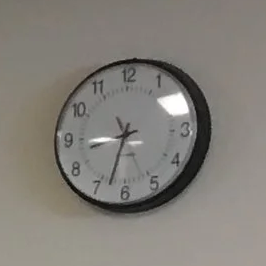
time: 8:32
